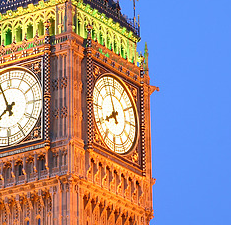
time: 7:57
